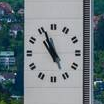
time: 10:56
